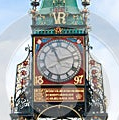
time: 11:12
